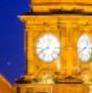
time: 12:40
